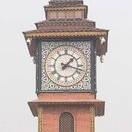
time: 1:18
